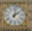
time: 2:02
